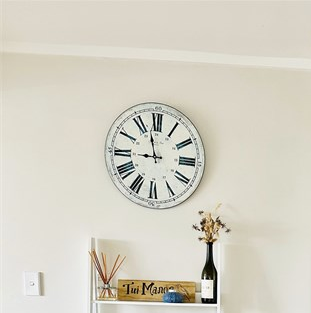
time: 8:57
